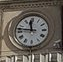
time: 11:46
